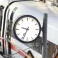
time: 9:34
